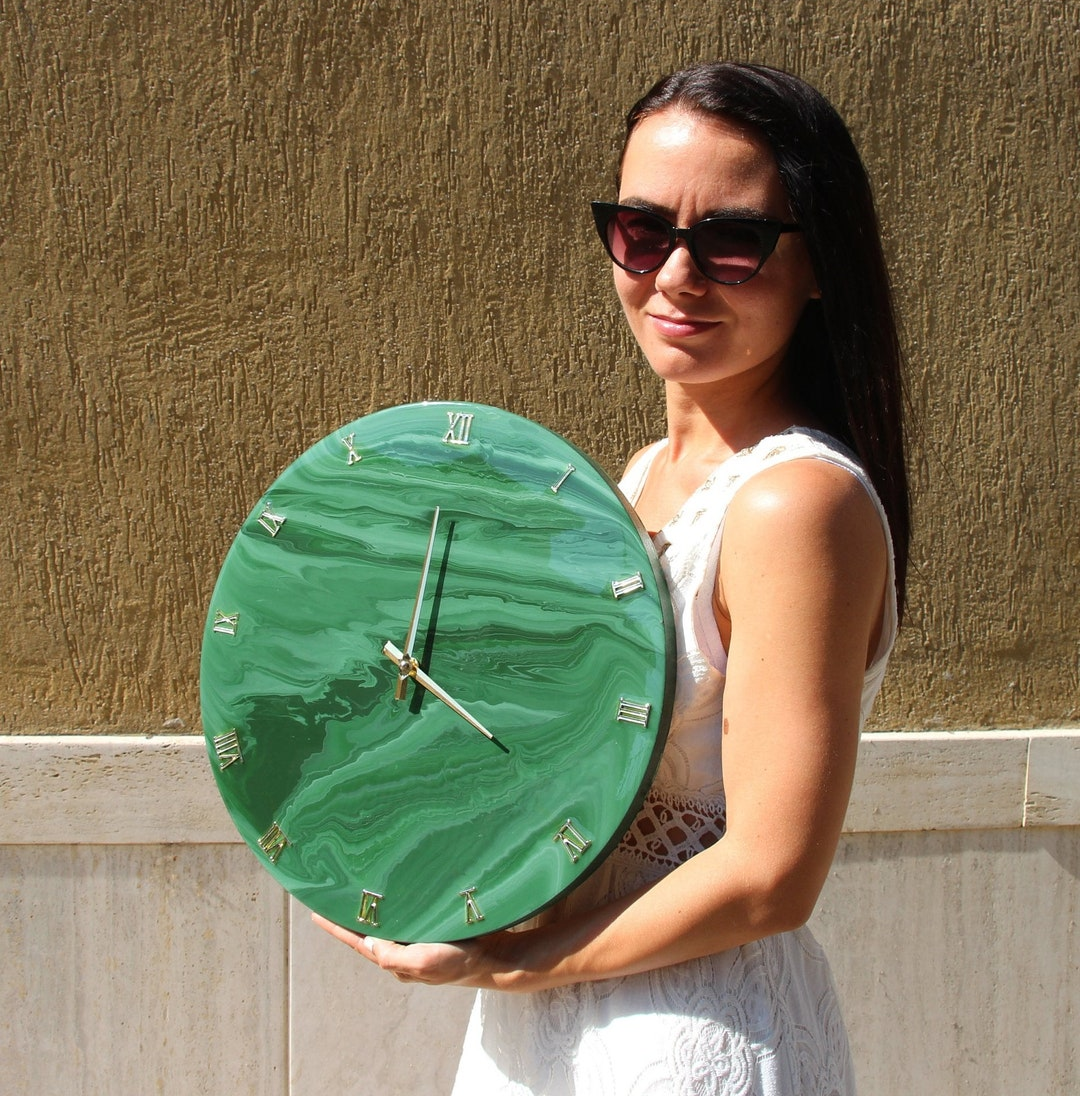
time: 4:00
